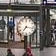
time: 7:17
